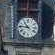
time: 10:45
